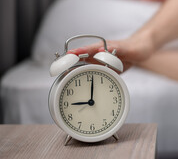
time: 9:01
